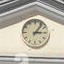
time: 3:06
